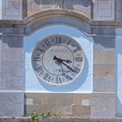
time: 3:21
